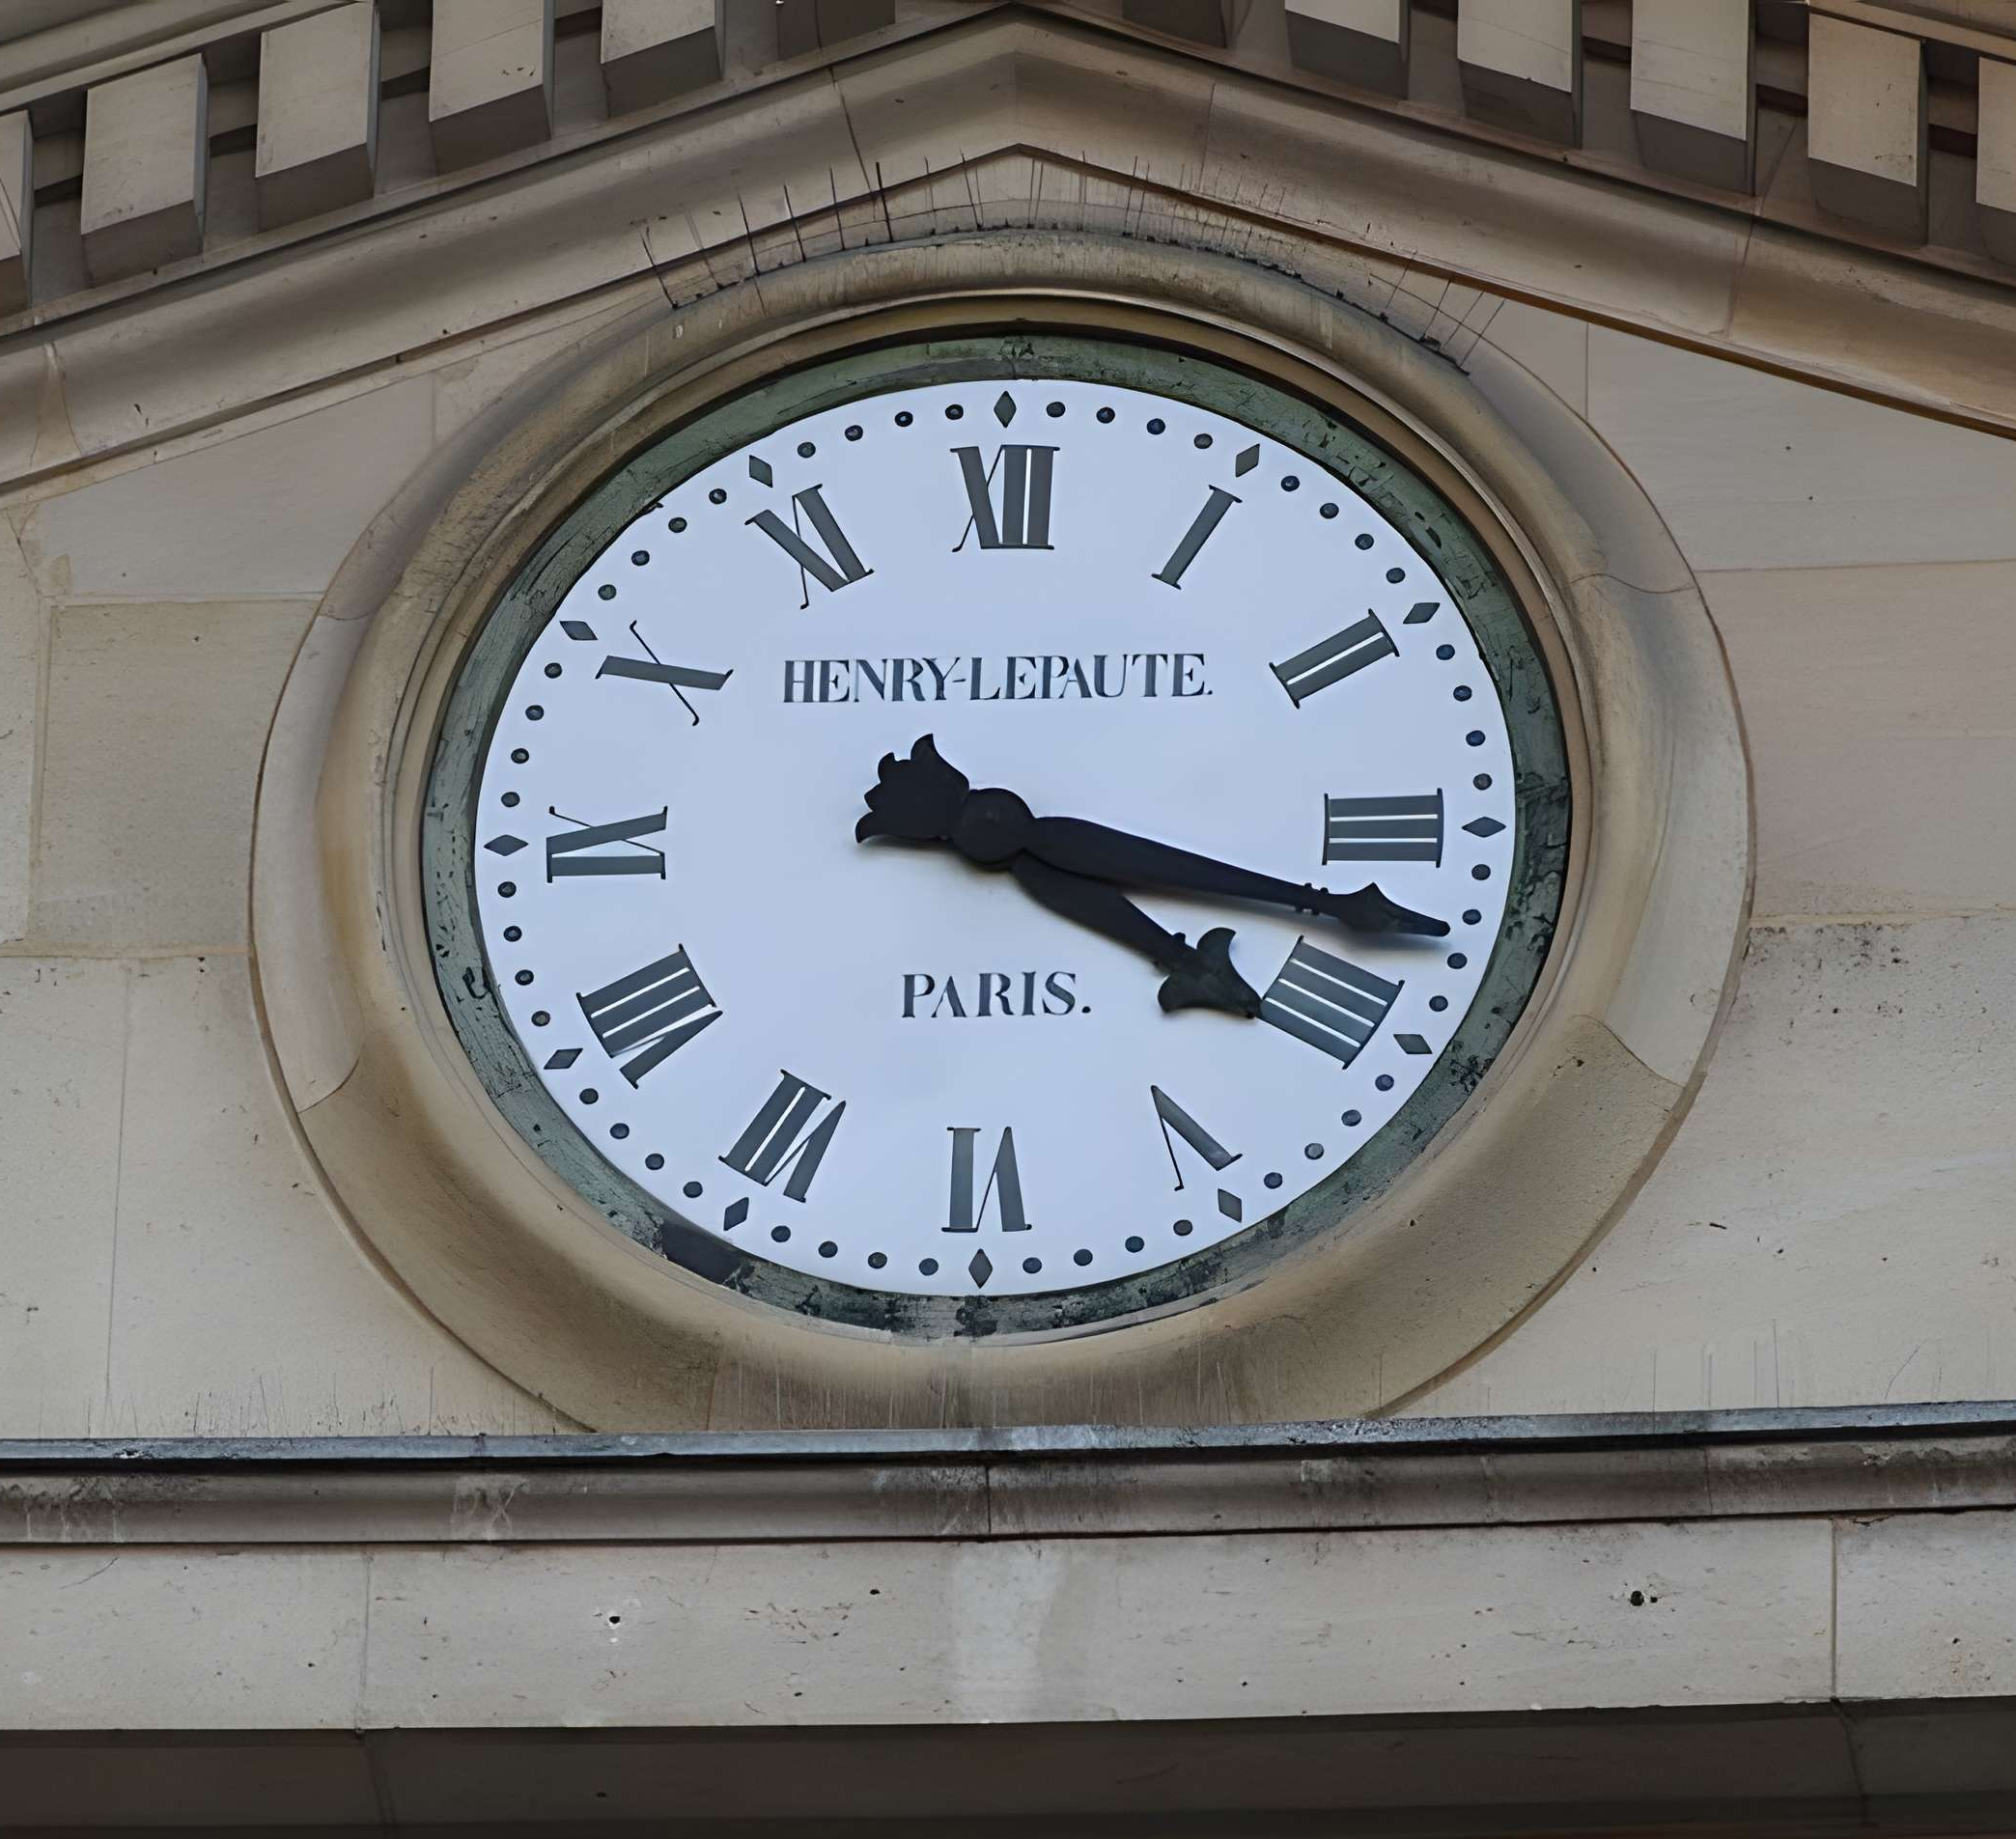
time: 4:17
